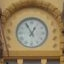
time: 12:55
